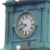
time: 9:39
